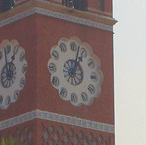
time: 1:02
